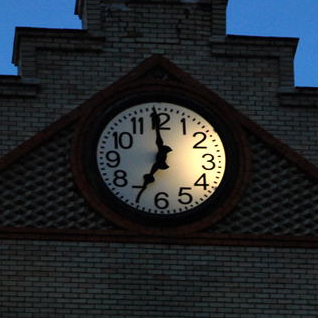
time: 6:59
